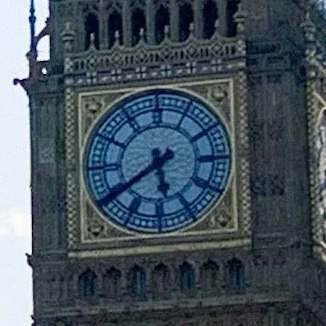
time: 5:39
